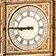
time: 8:45
